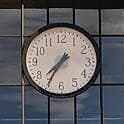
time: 7:34
